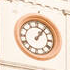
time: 1:06
